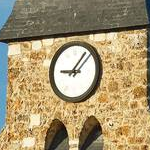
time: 9:07
